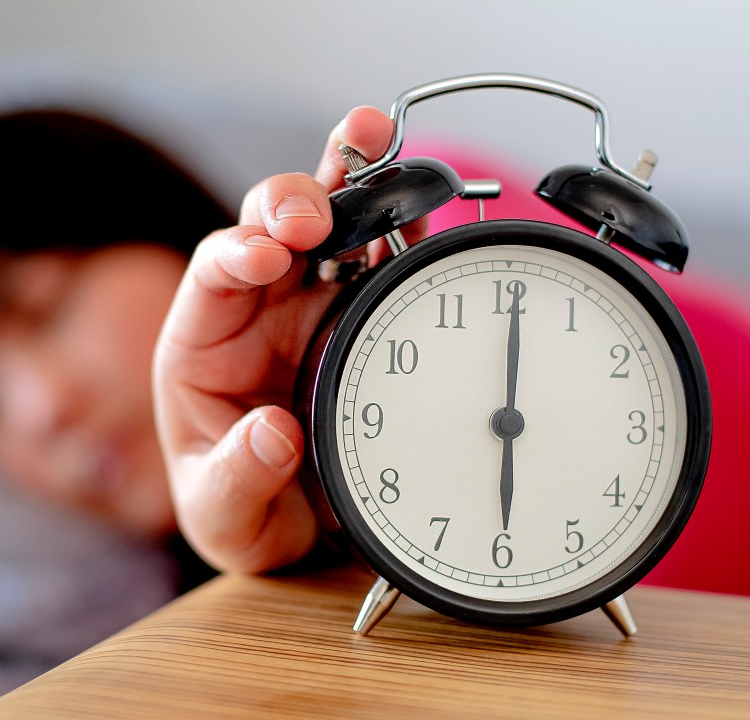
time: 6:00
